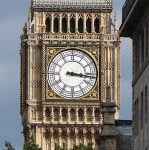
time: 3:16
